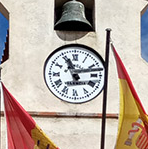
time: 11:12
